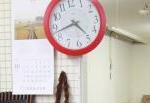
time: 4:42
